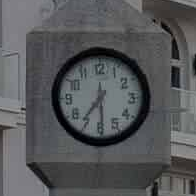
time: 7:29
